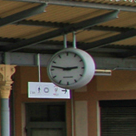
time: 2:47
